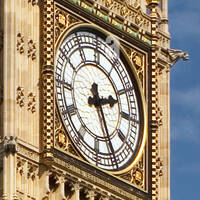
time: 2:25
